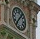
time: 7:07
